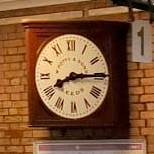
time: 8:14
